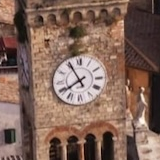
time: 7:54
